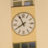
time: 7:55
